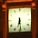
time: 6:28
